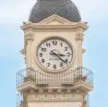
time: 3:21
